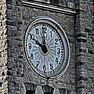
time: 9:59
